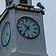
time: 10:36
